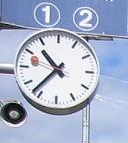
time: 10:37
